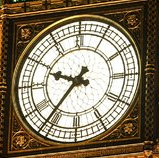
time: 9:36
